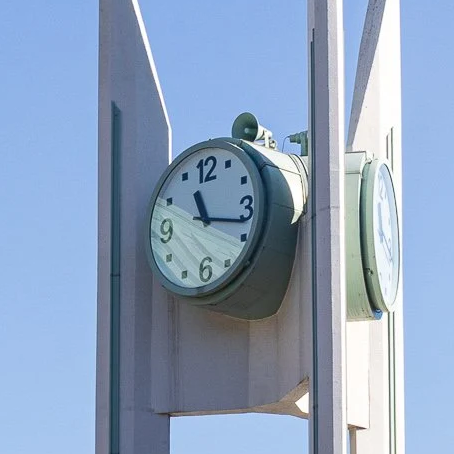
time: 11:17
